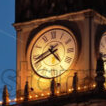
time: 4:40
